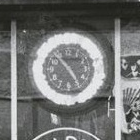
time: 4:53
